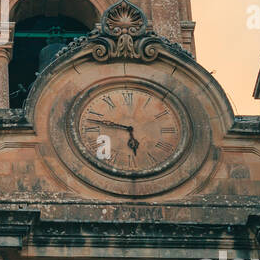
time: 5:47
